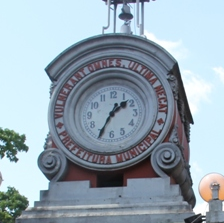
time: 1:34
